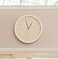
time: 12:57
